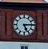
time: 5:14
